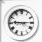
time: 9:14
